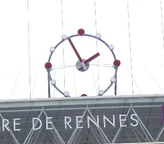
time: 1:55
